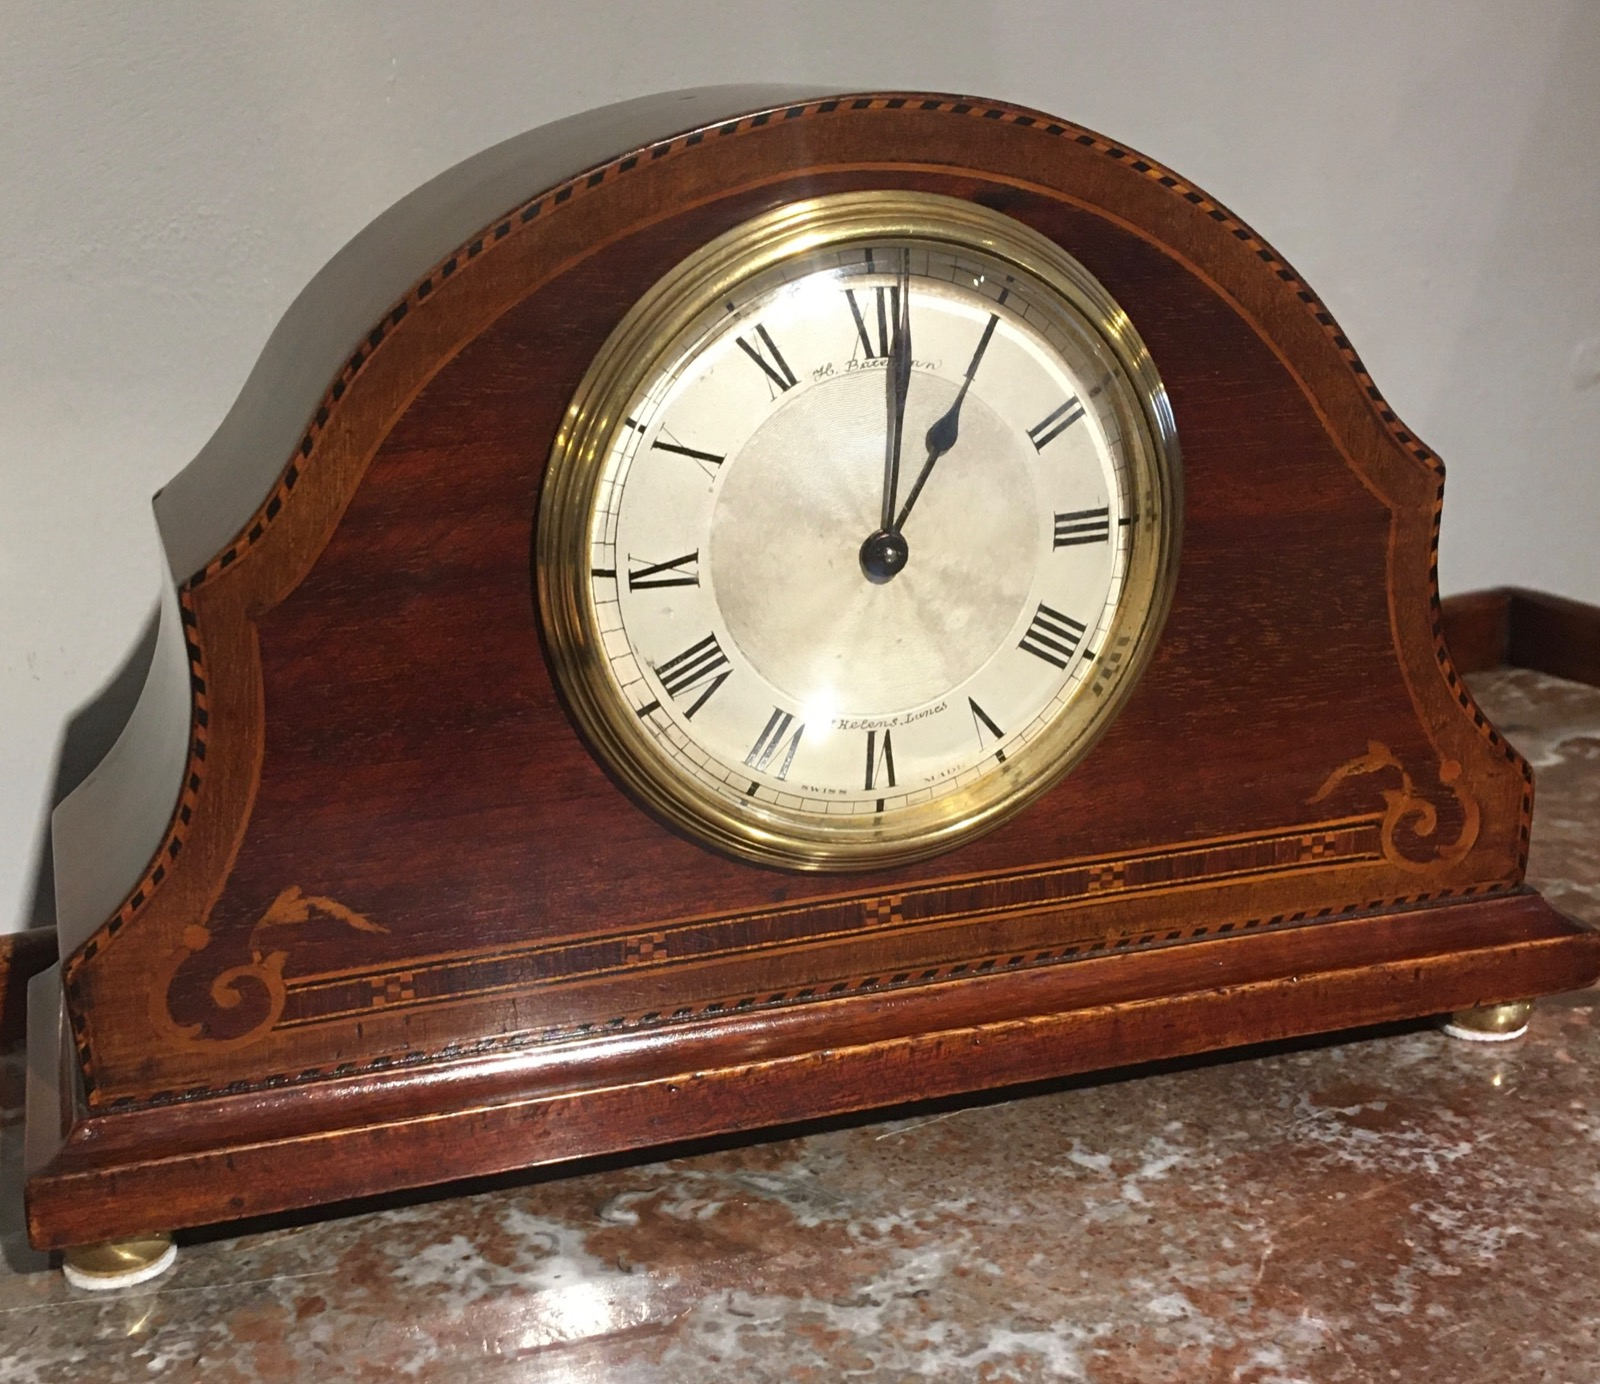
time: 1:01
